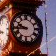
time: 9:43
